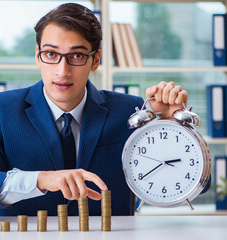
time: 2:39
